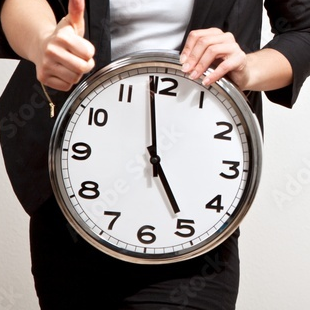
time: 4:58
